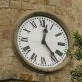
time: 12:23
